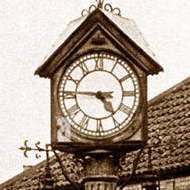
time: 4:46
